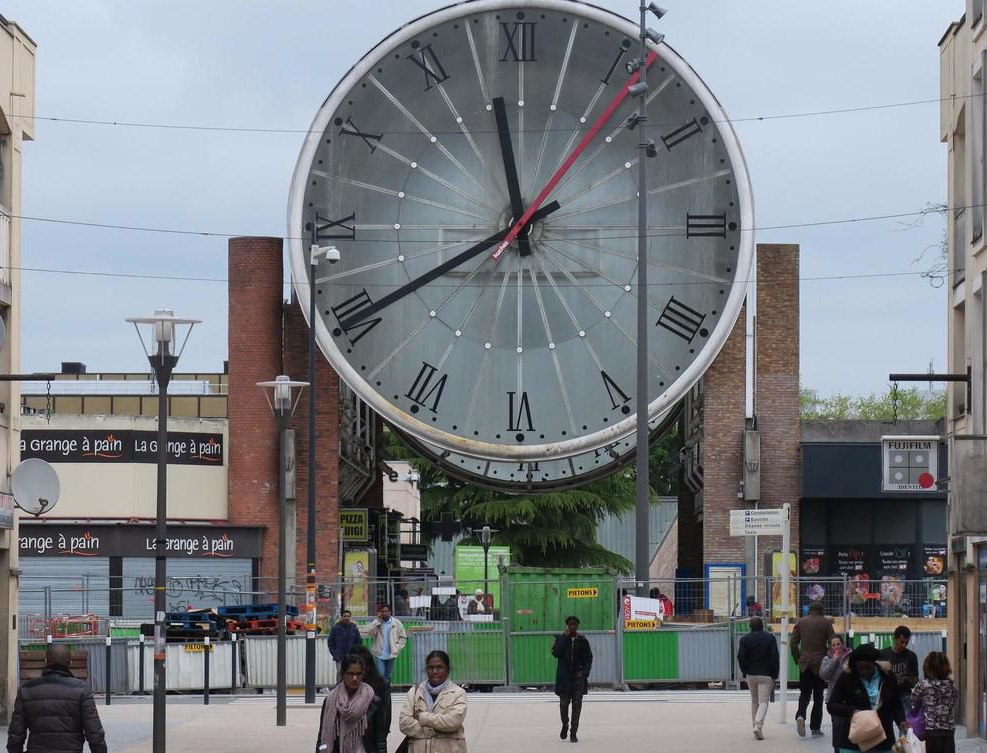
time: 11:40
